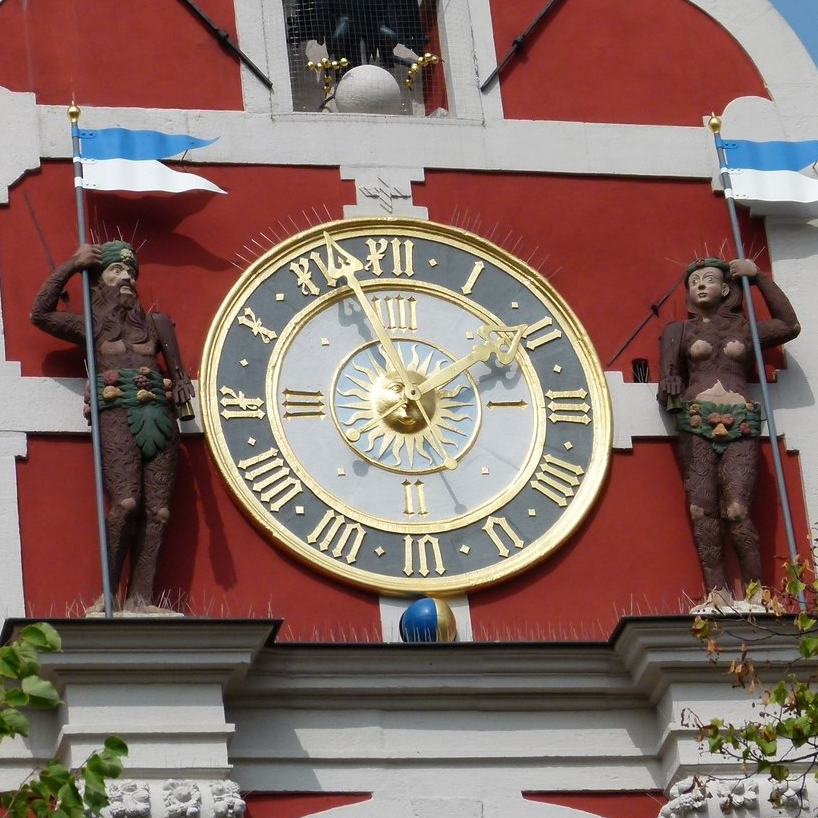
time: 1:56
